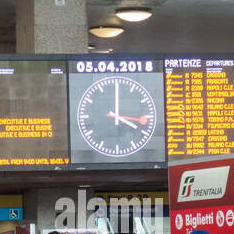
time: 4:00
